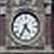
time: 4:34
